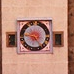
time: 4:45
